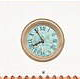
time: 7:54
